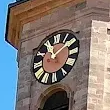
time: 11:08
